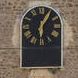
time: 6:05
